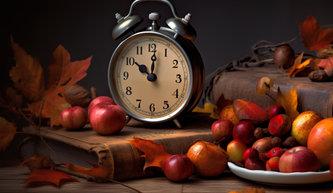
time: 10:01
